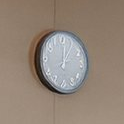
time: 12:05
